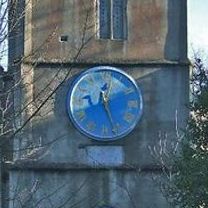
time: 12:26
